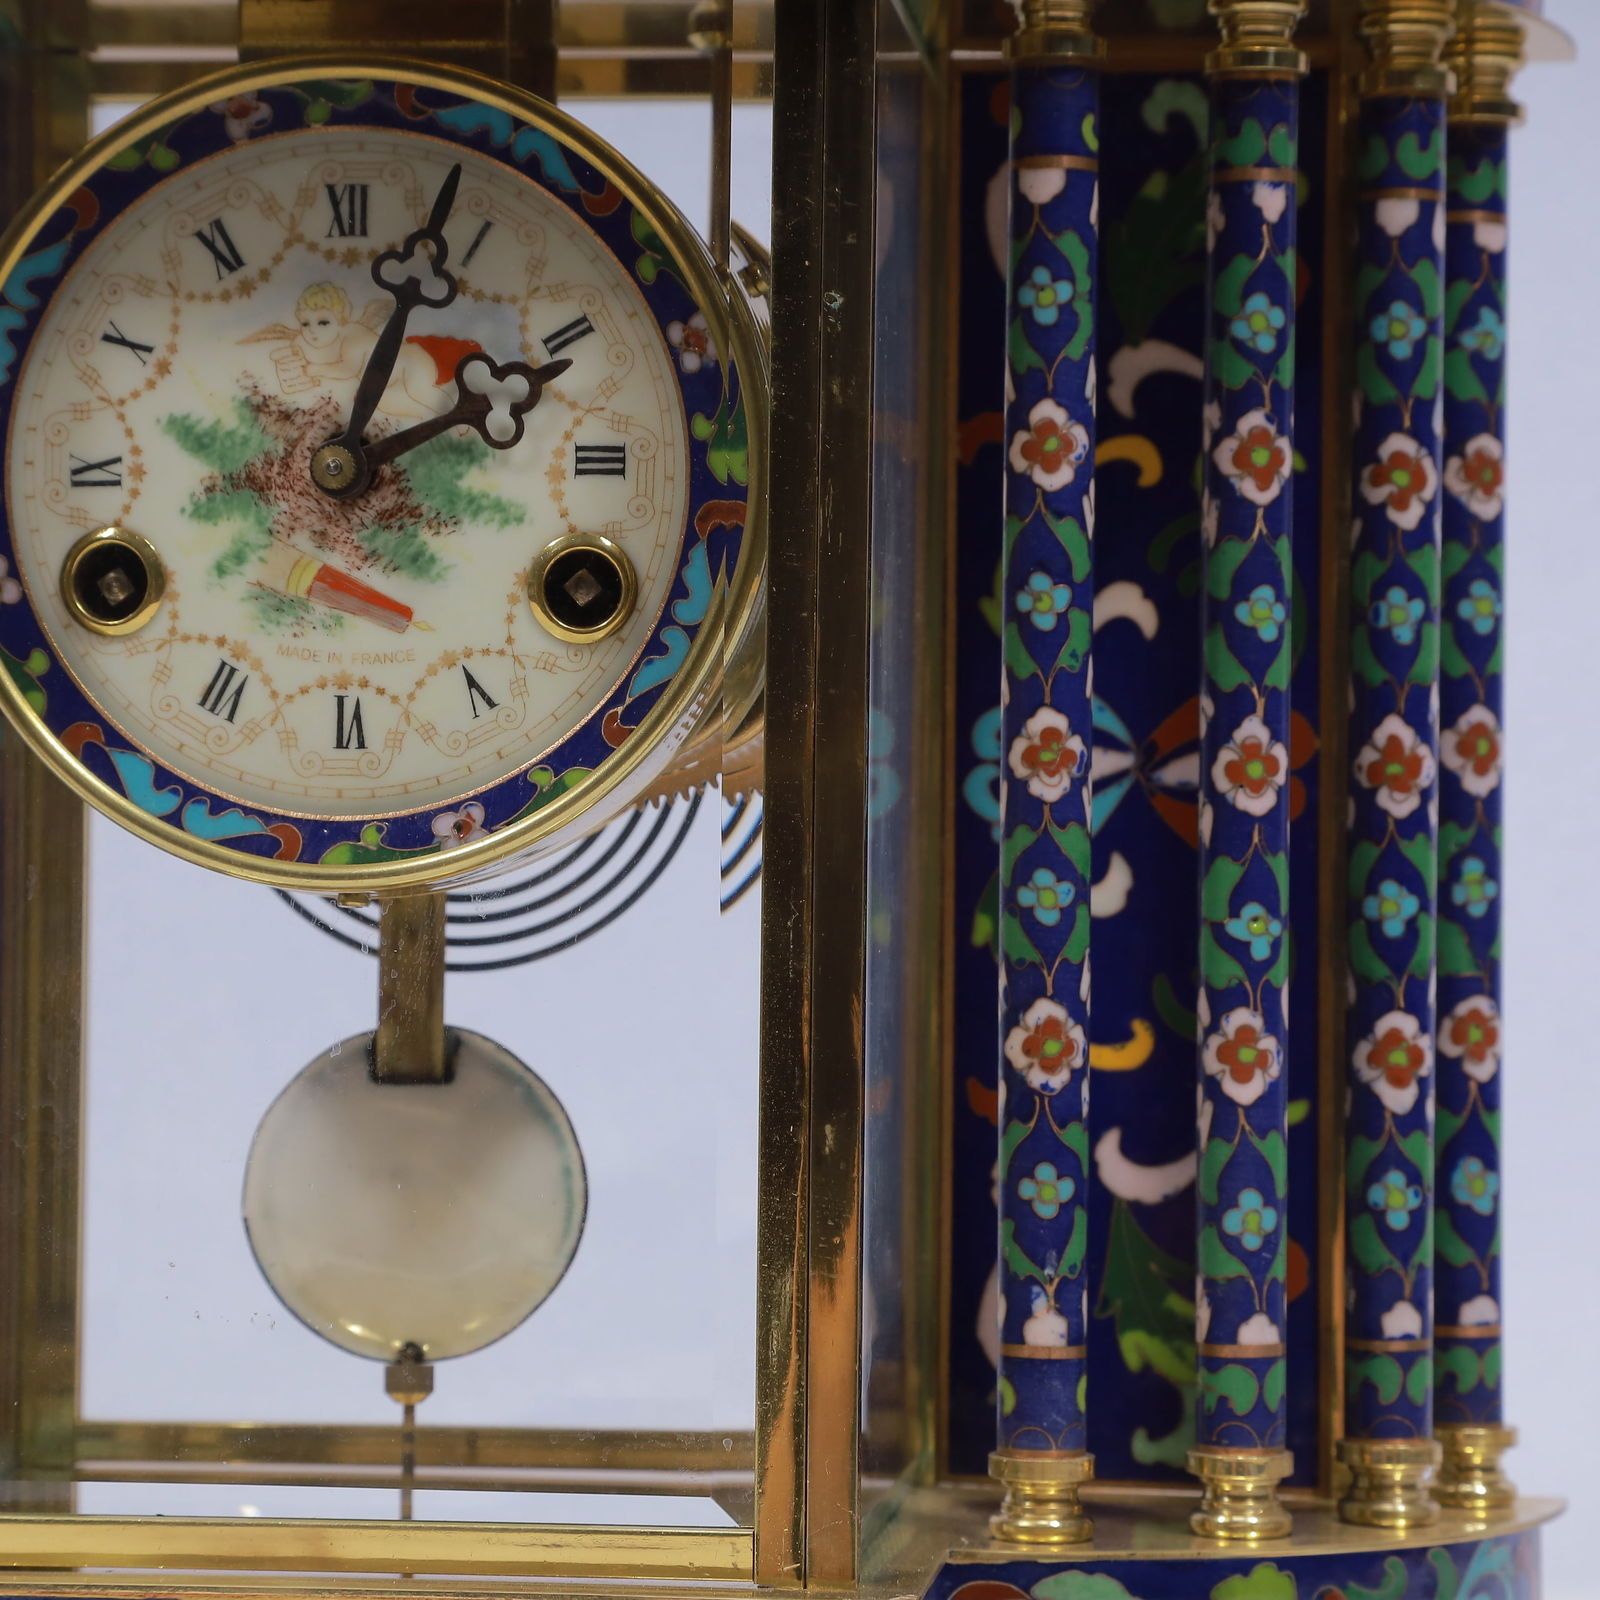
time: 2:03
